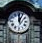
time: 12:04
